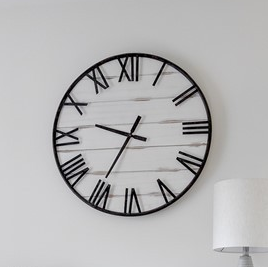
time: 9:35
